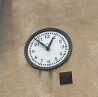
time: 12:52
